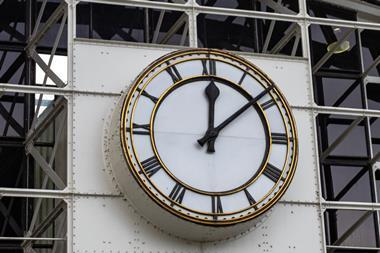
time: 12:08
